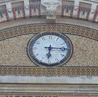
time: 6:15
